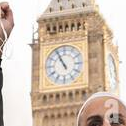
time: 10:55
